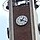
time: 1:18
